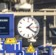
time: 1:21
